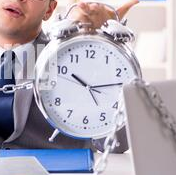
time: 10:13
